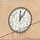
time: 12:05
